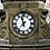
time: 11:36
